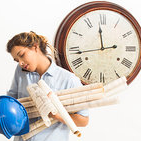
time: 11:43
